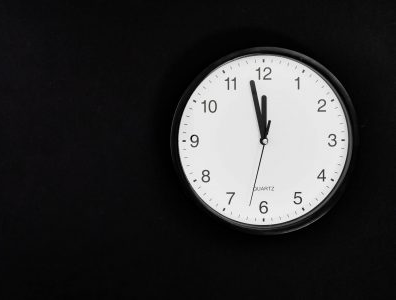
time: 11:57
